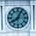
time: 8:04
